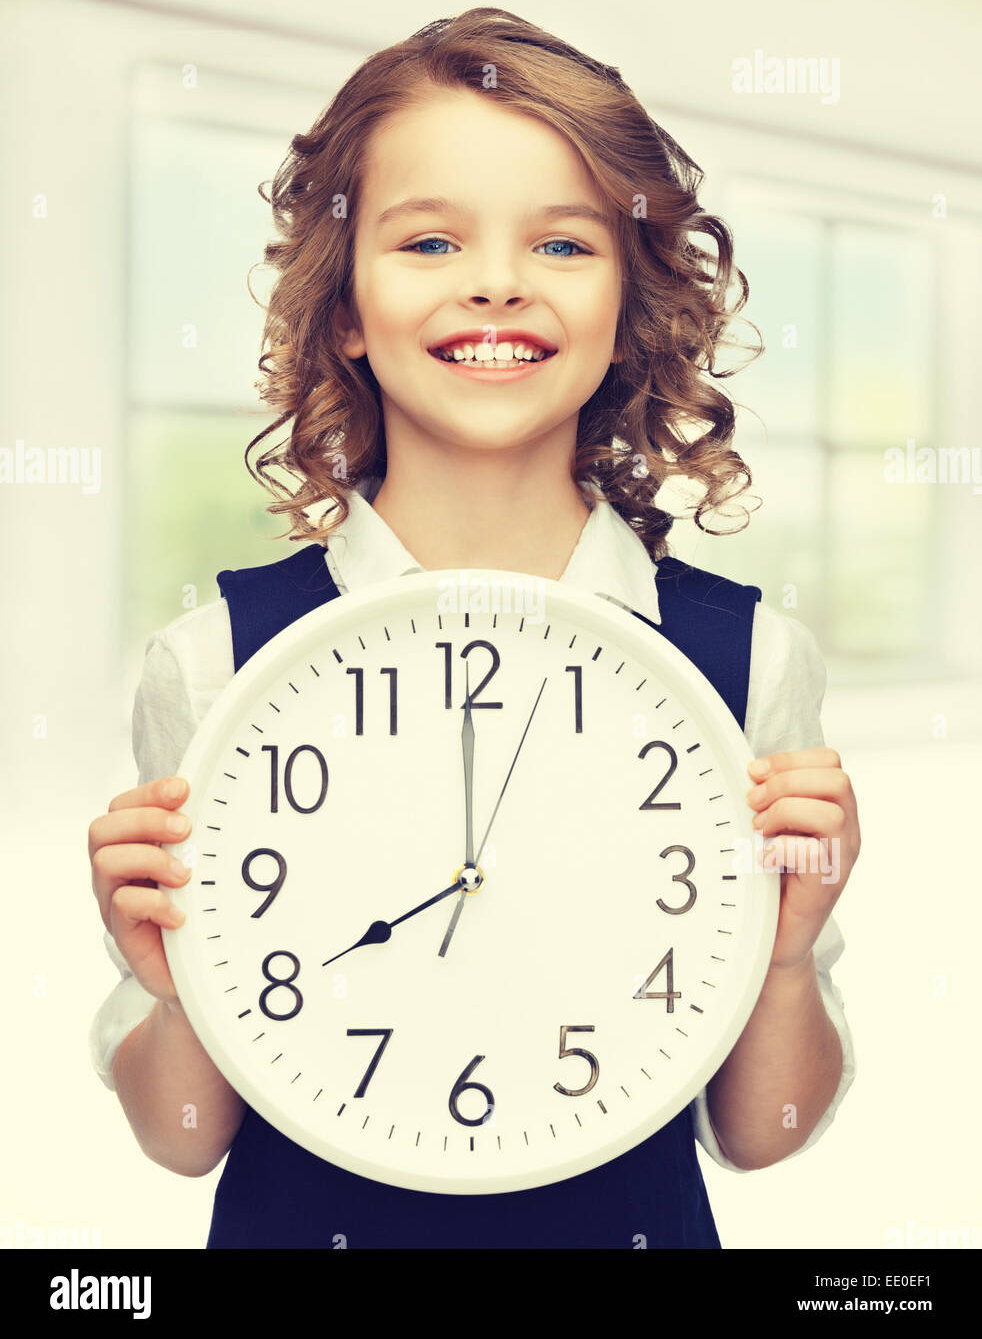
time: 7:59
